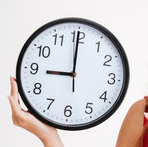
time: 8:59
